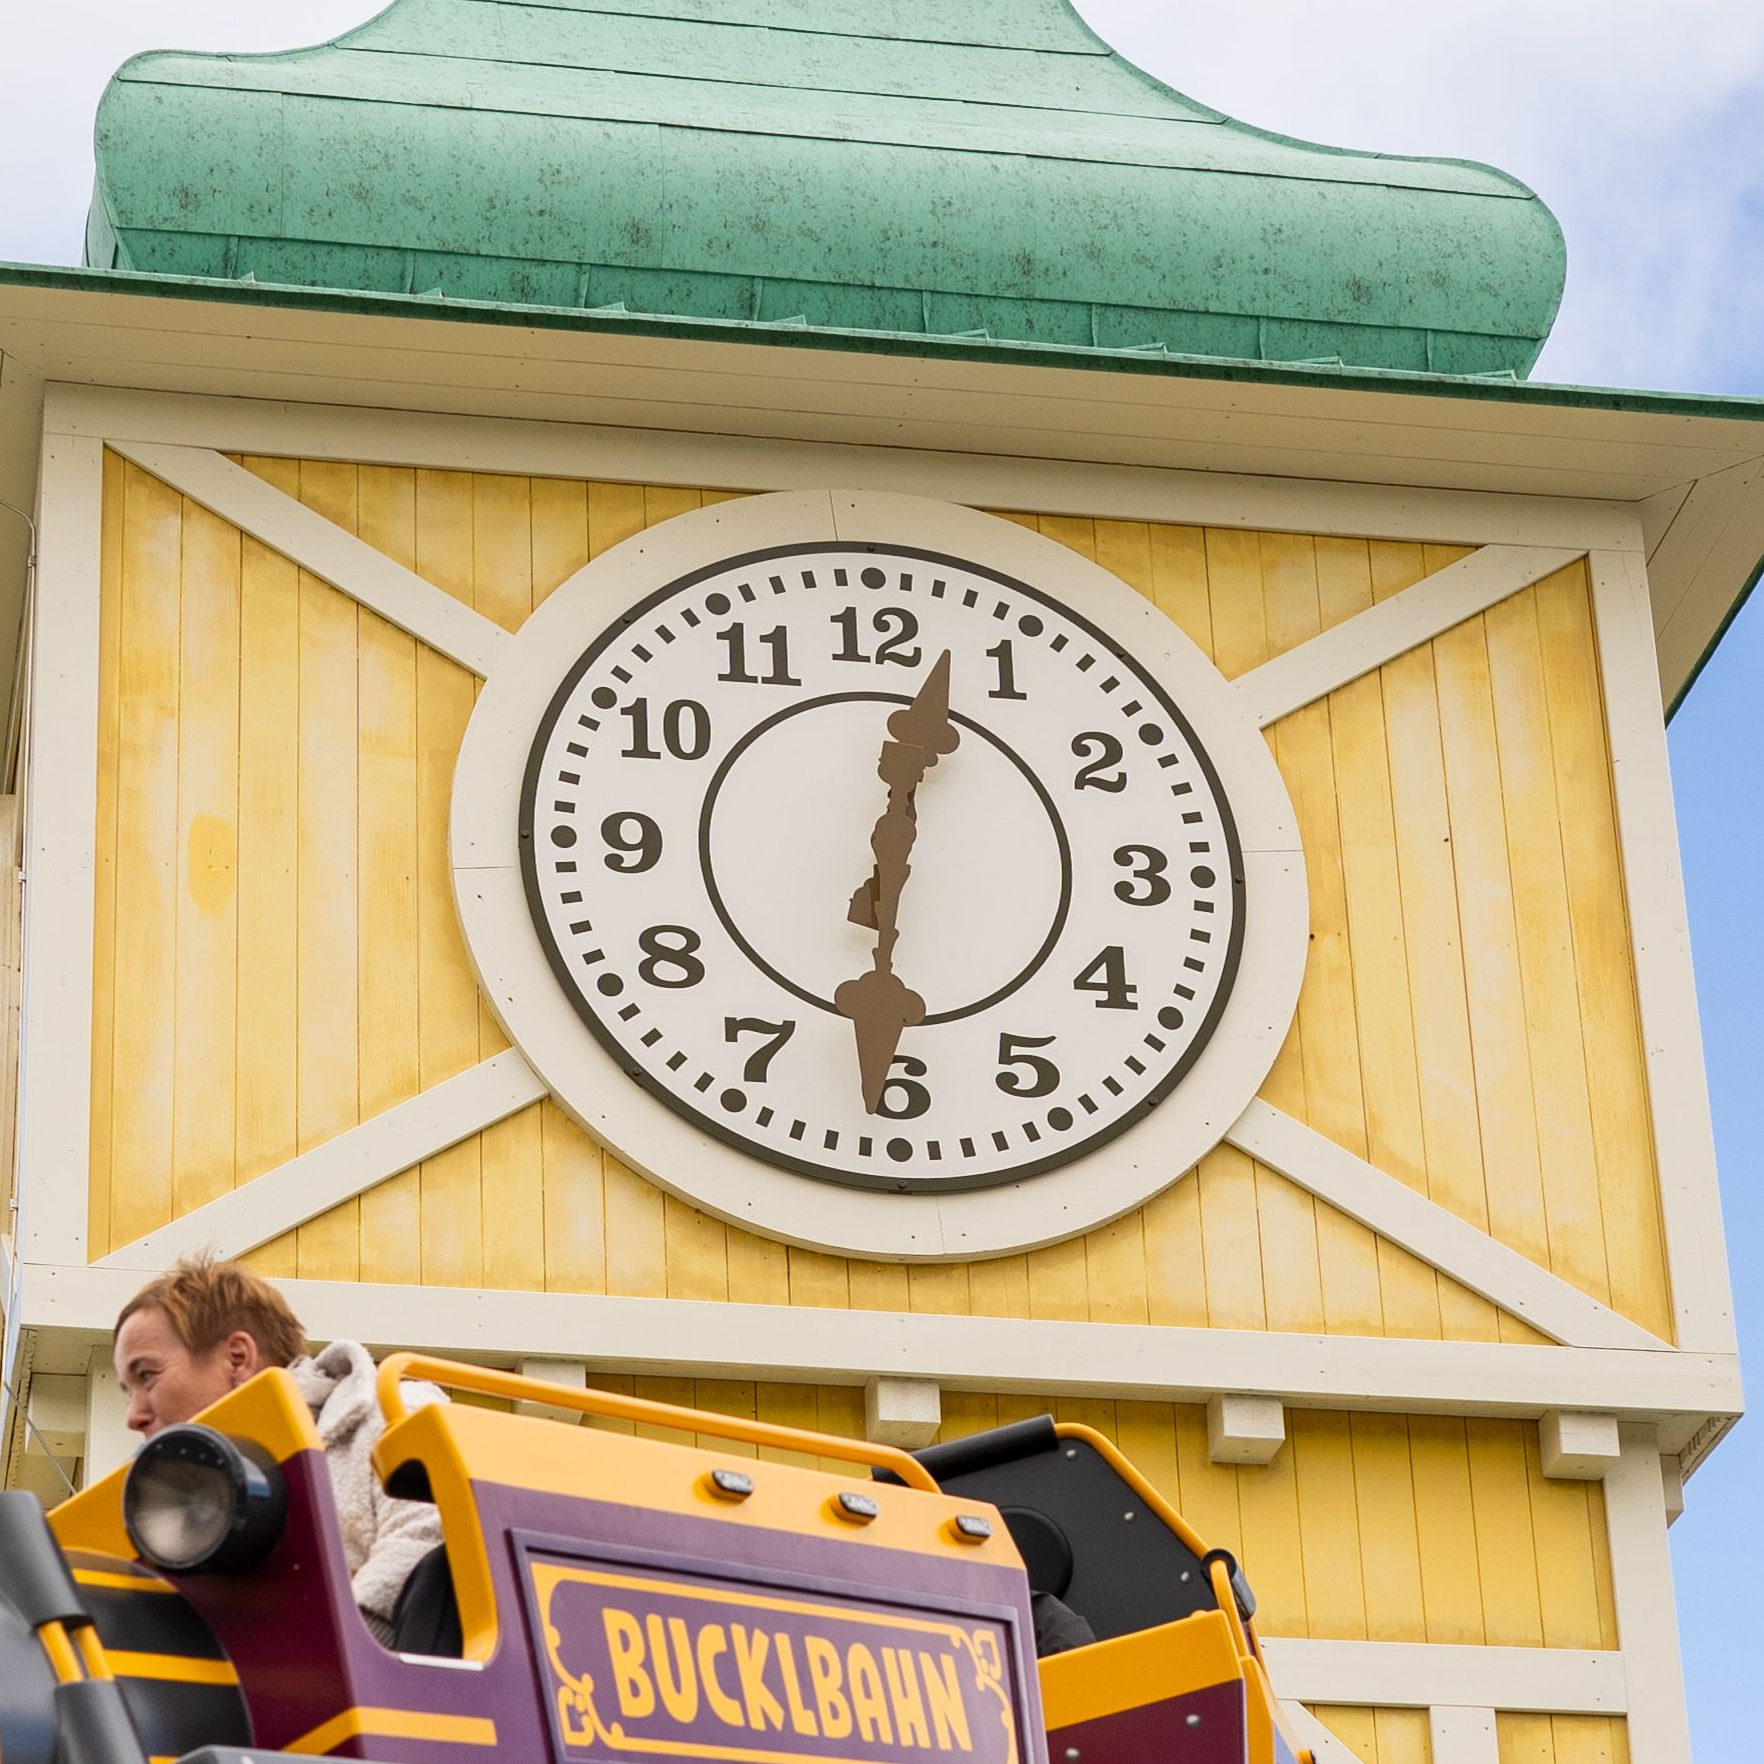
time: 12:30
